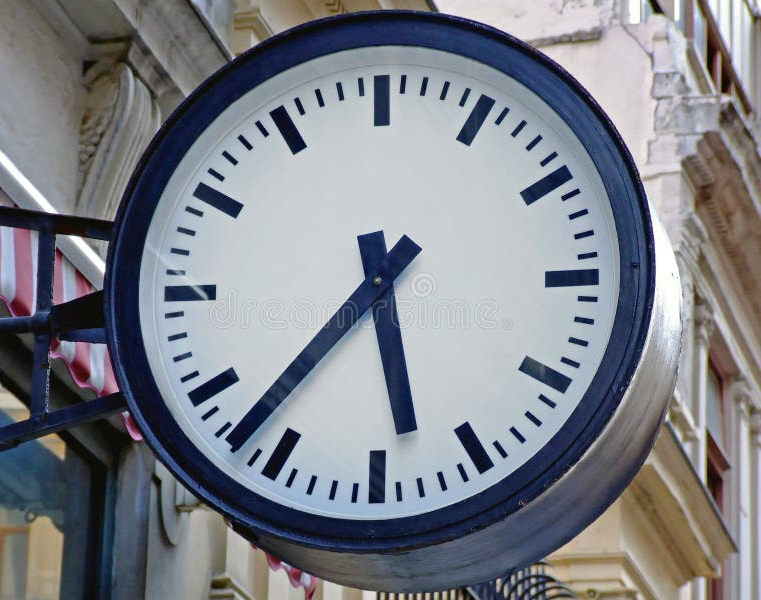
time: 5:37
